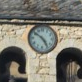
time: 4:50
